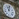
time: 11:02
